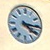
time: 4:15
